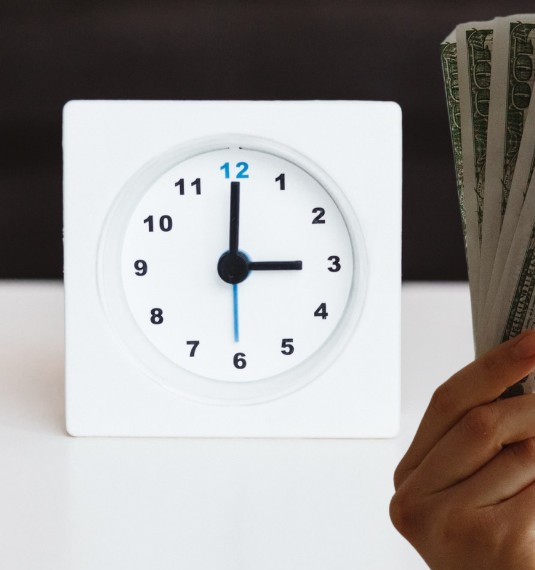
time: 3:00
